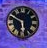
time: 5:48
